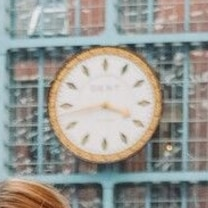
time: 3:43
